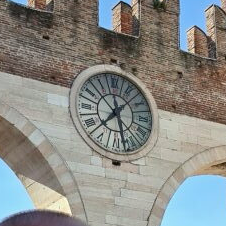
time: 7:27
